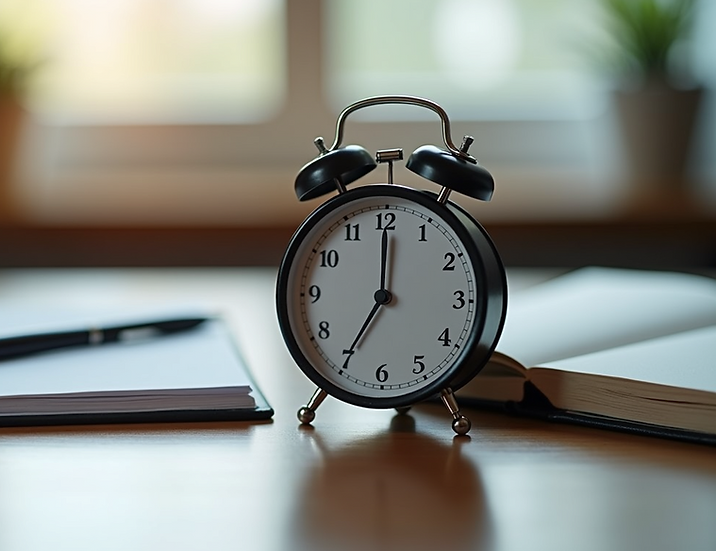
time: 7:00
